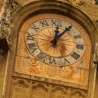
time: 12:05
